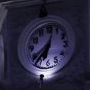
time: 6:36
